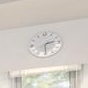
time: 2:29
